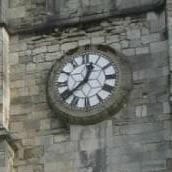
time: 12:38
